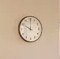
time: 10:00
